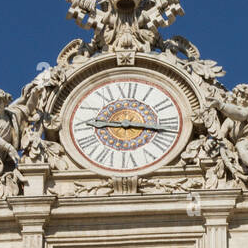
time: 9:16
